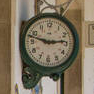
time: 2:47
